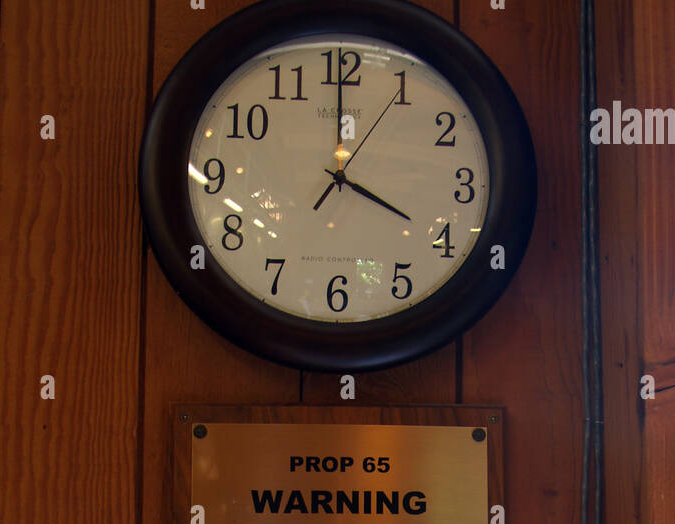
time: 4:00
